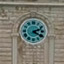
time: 2:19
